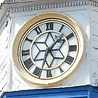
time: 1:33
